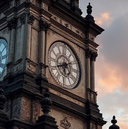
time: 5:40
